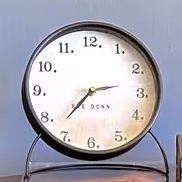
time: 2:36
